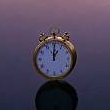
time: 1:01
